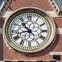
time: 10:42
